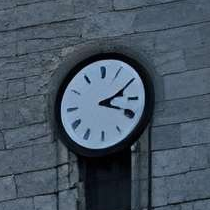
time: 2:18
